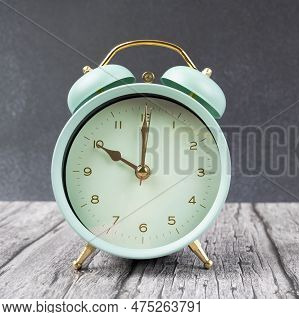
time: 10:00
